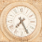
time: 7:25
